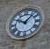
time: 10:07
